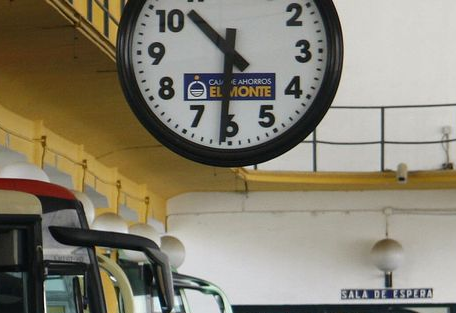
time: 10:30
